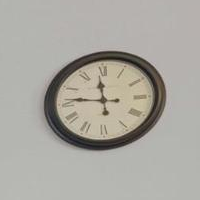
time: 11:46
